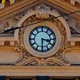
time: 3:30
